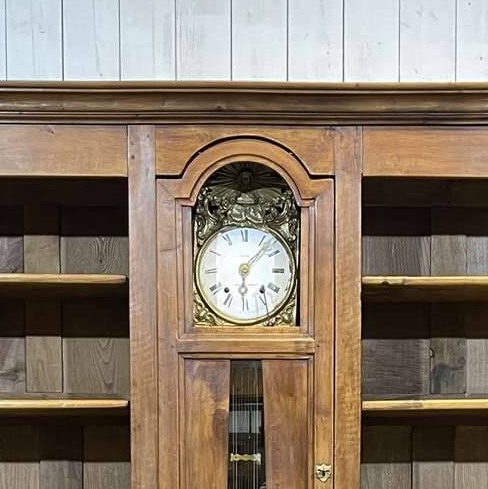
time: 6:07
